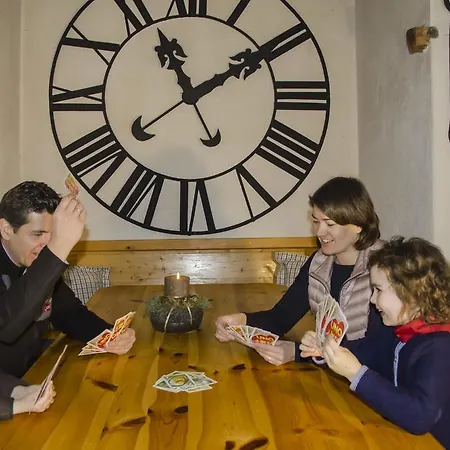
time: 11:09
